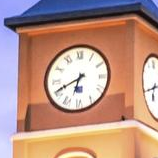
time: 6:40
